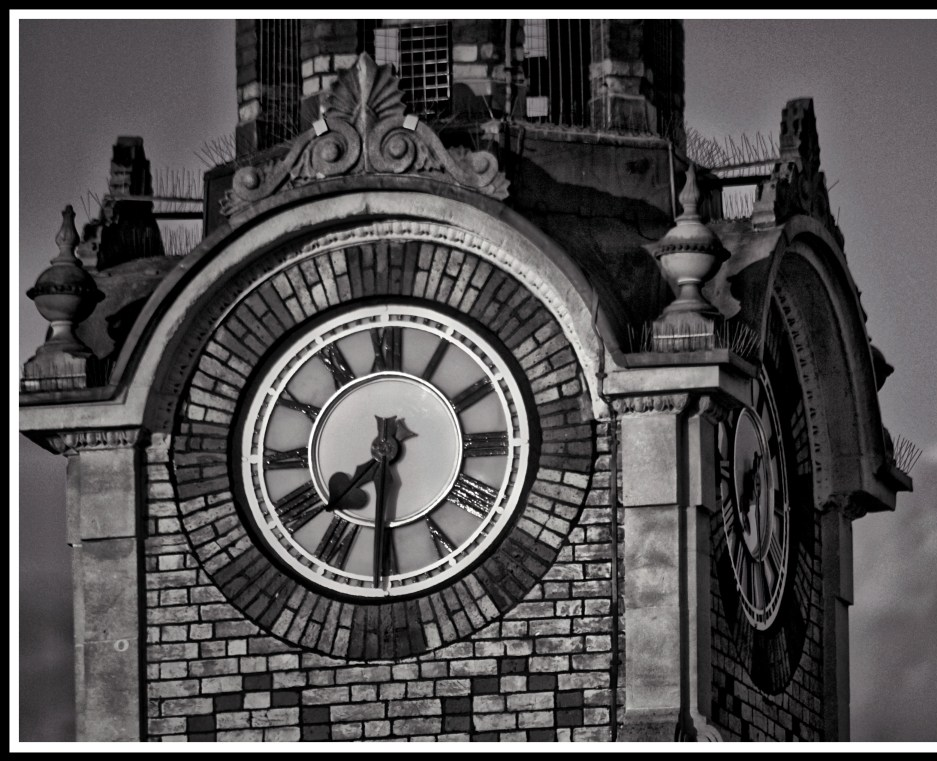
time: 7:30
